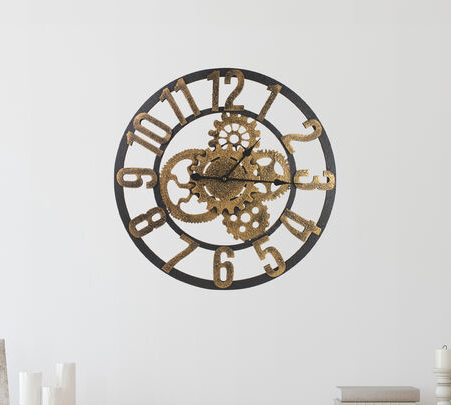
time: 1:14
